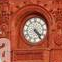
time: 4:23
